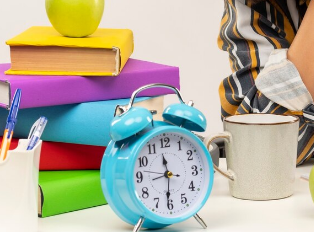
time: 11:31
